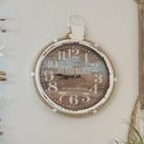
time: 8:45
